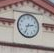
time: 2:34
